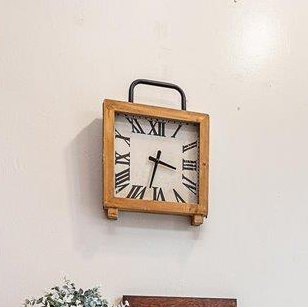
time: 3:32
